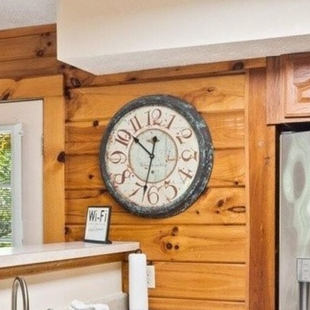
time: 10:32
